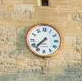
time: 7:37
